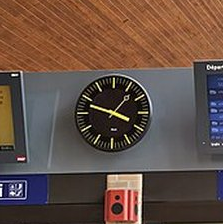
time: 3:48
